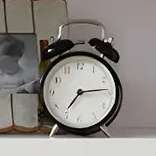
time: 7:13
